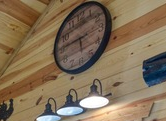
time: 5:45
